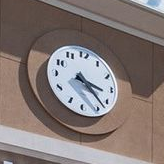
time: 3:22
